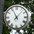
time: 11:07
